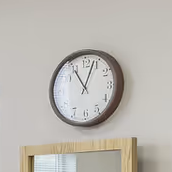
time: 11:03
